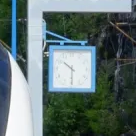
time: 10:30
